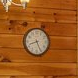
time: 8:26
